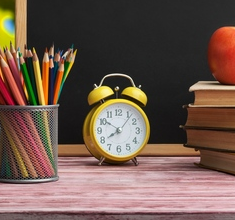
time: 7:50
